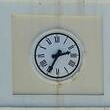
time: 2:34
